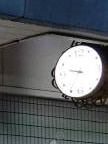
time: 9:35
